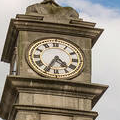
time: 4:34
